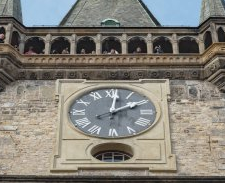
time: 2:01
